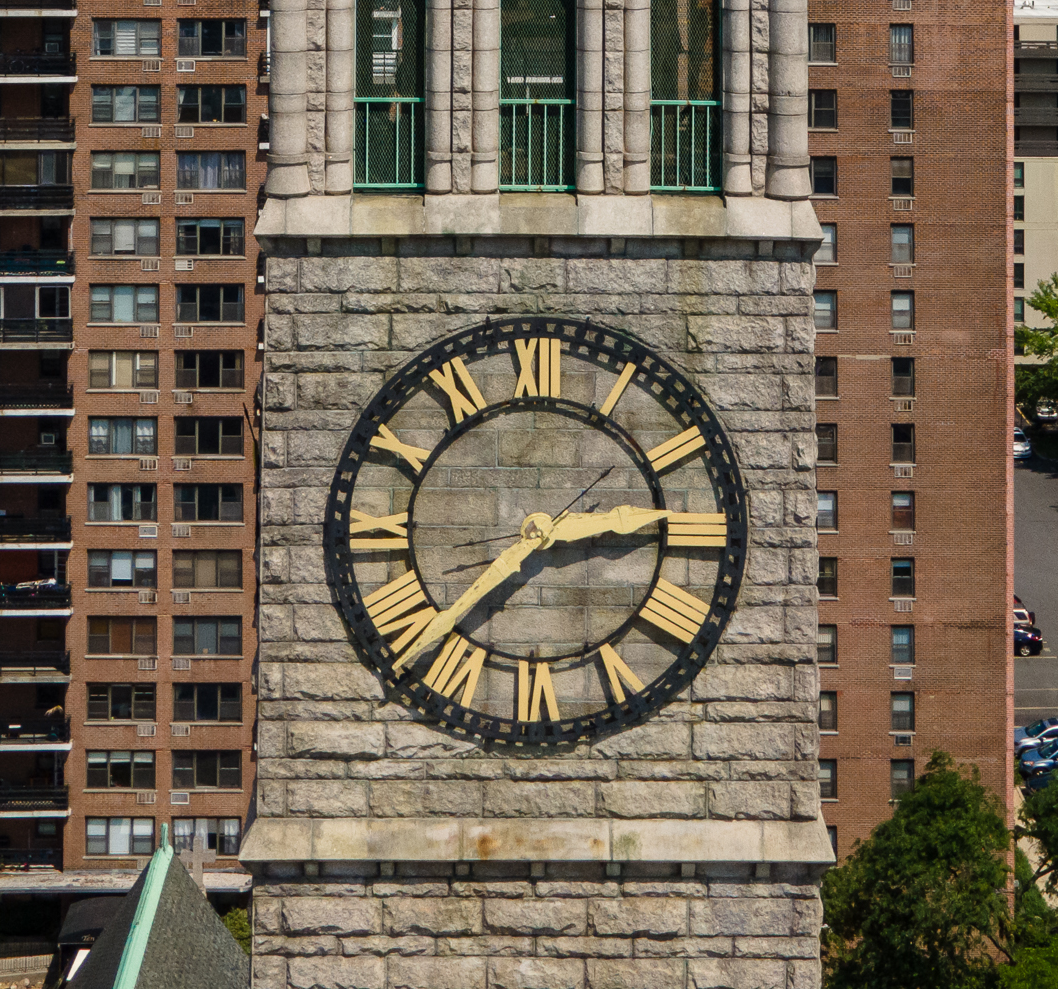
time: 2:37
